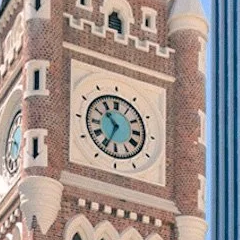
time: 10:34
